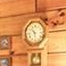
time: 10:28
